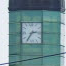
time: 2:36
